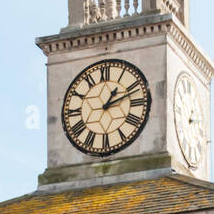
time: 1:11
